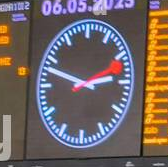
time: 2:48
